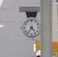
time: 4:35
